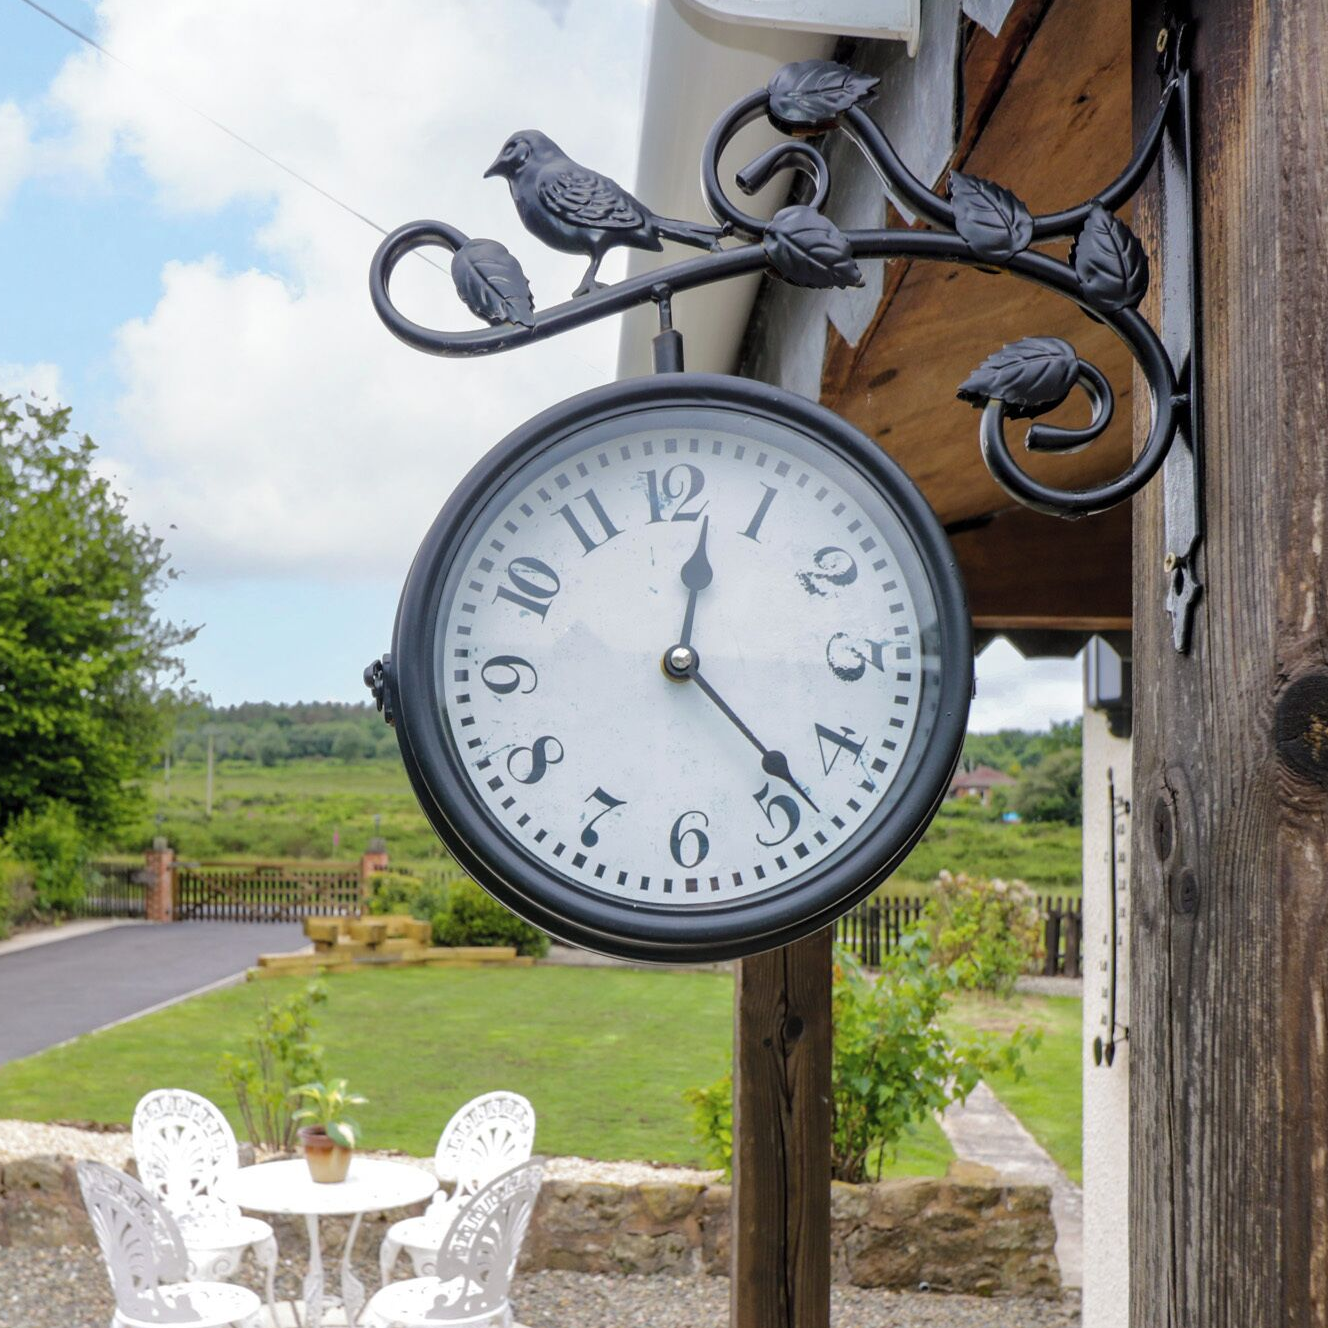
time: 12:23
